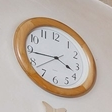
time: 3:43
